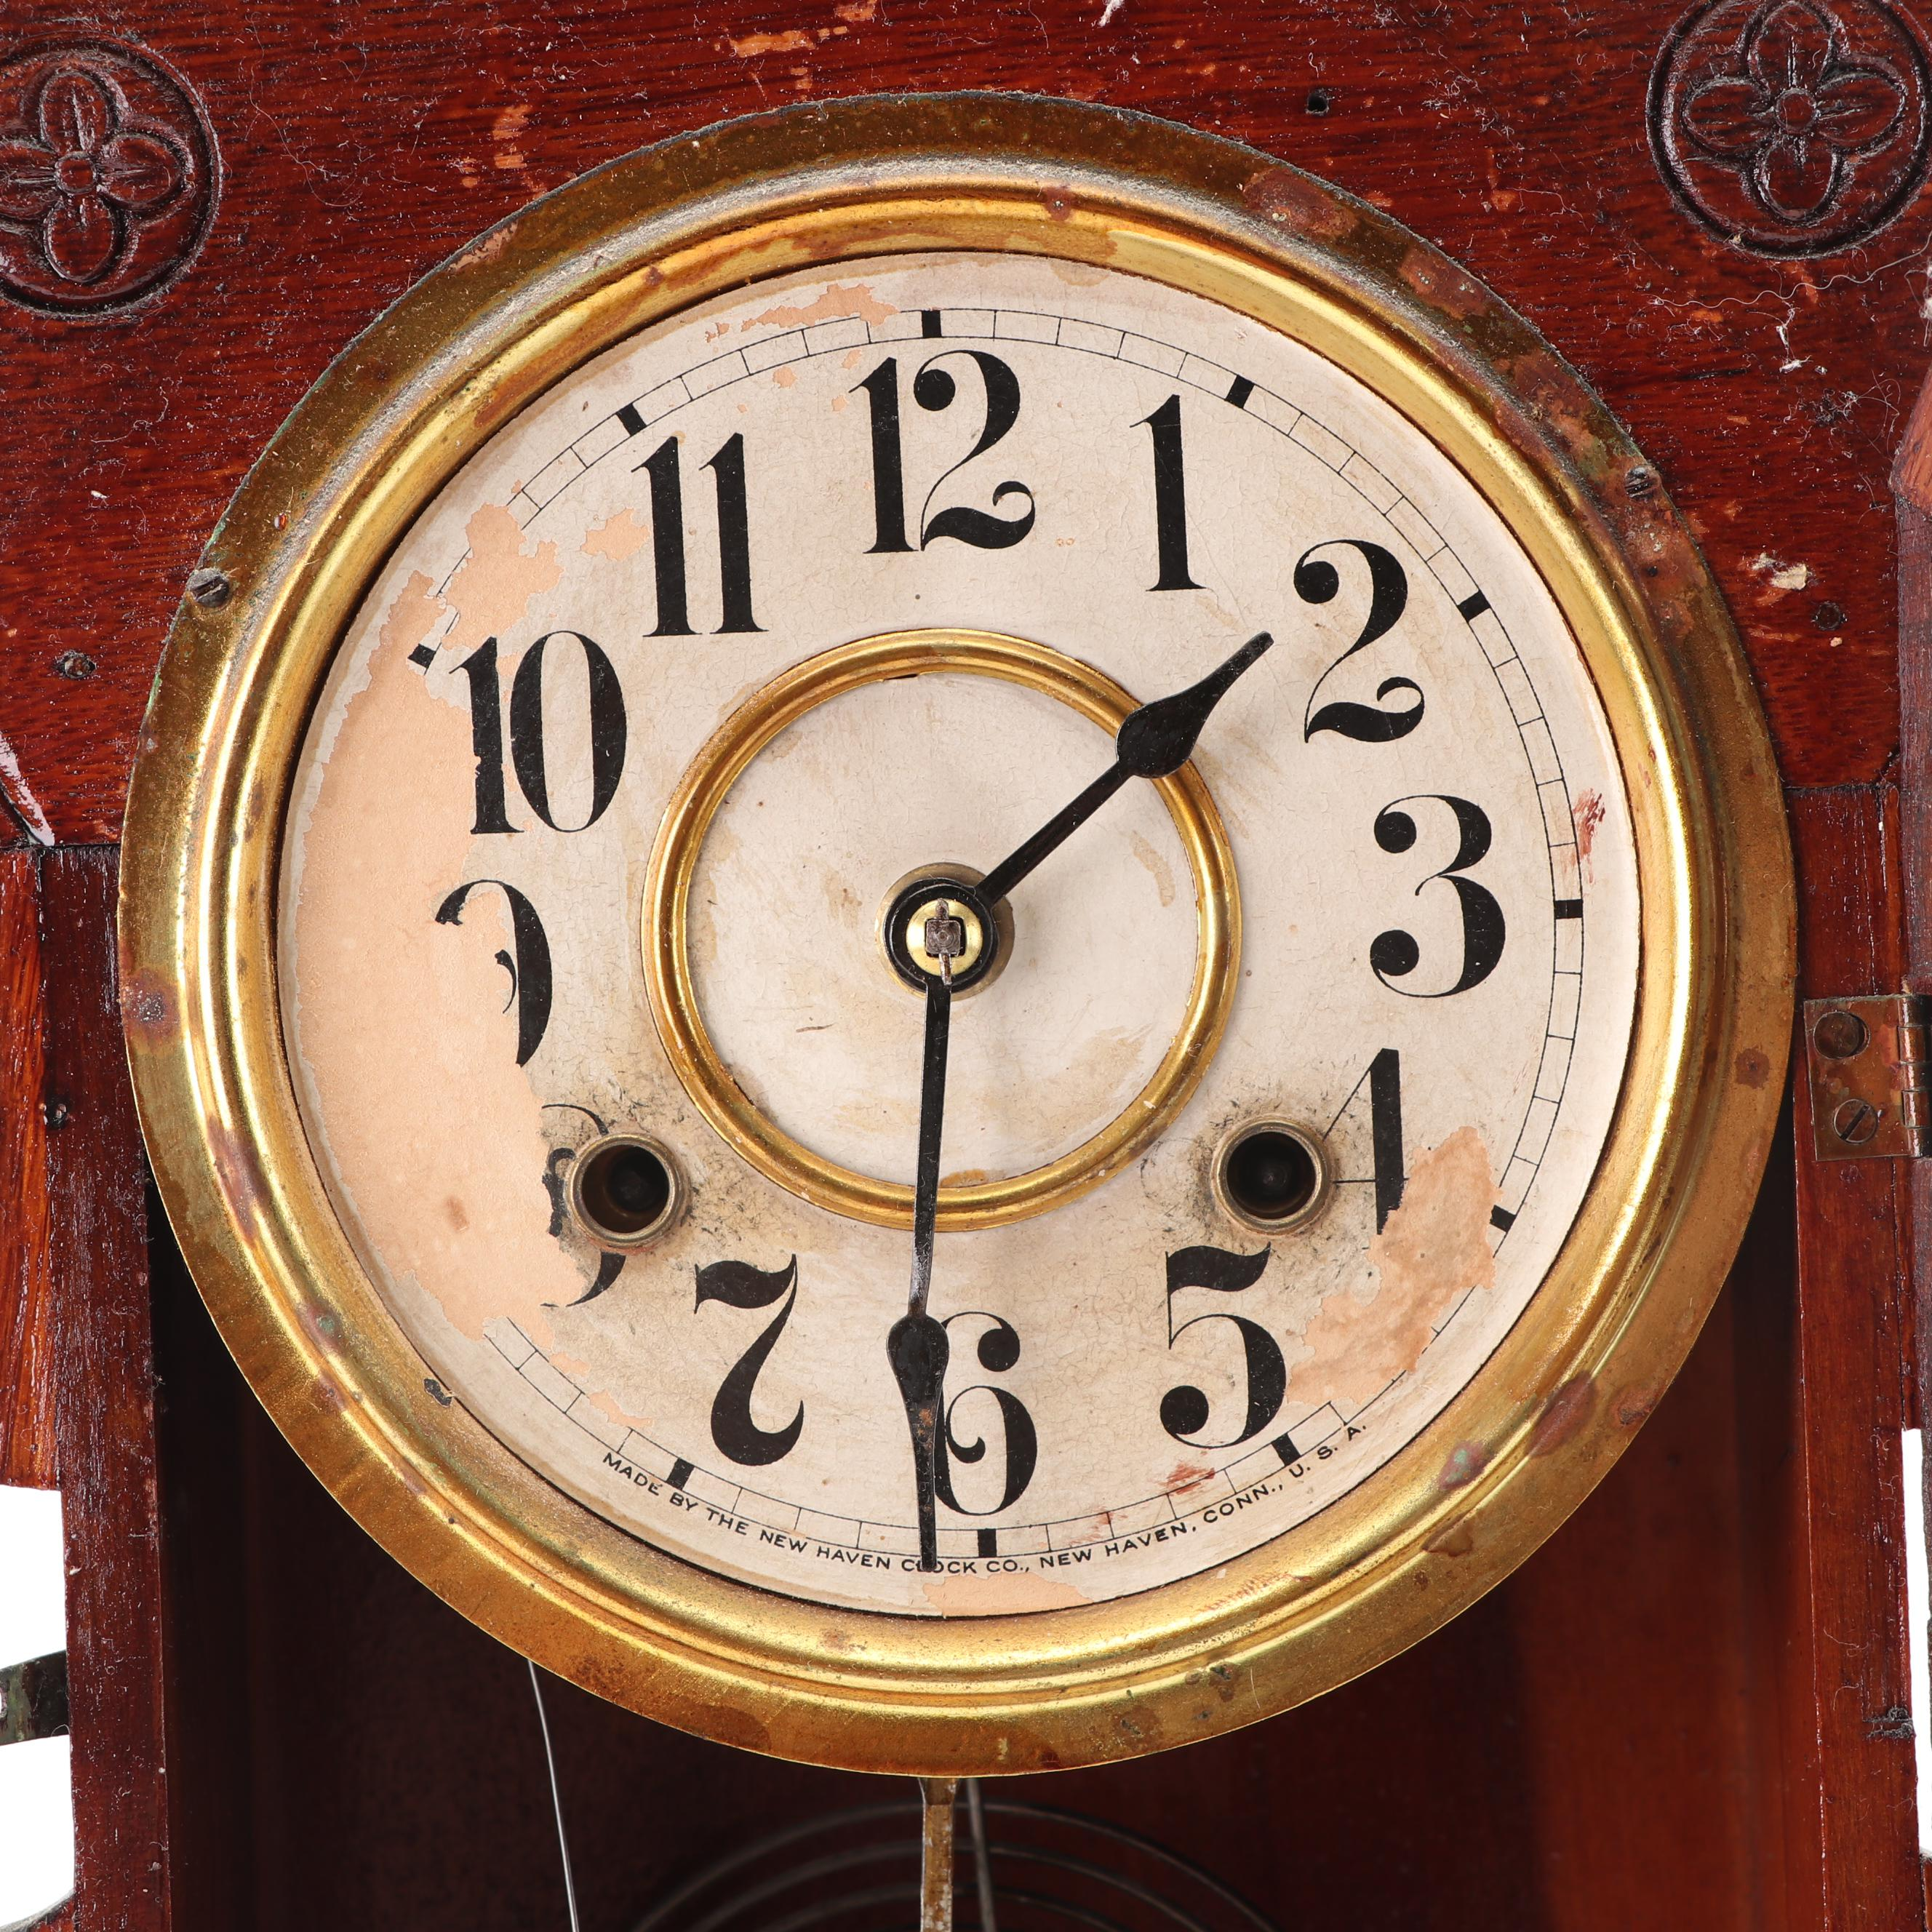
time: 1:31
